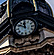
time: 11:50
